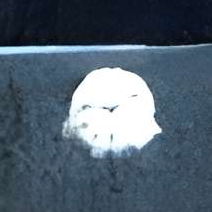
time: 9:10
